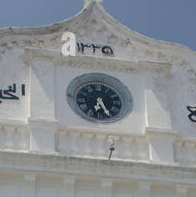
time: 6:25
